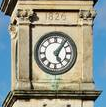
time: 5:06
